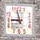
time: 8:57
